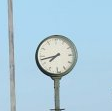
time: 7:42
